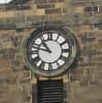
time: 10:47
